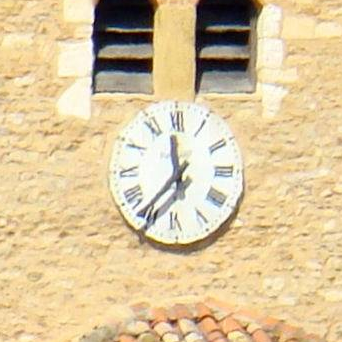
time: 11:36
